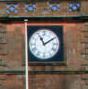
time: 11:09
